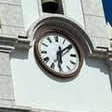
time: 6:09
